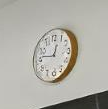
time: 12:46
